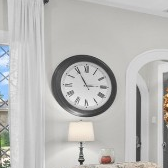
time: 2:54
